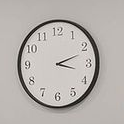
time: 3:11
